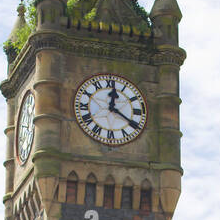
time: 12:20
